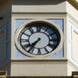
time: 7:36
